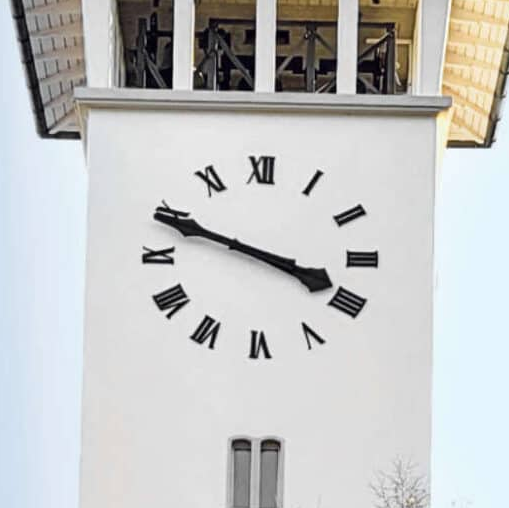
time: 3:48
